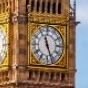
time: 11:26
